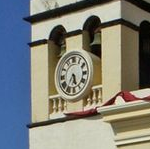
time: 5:35
